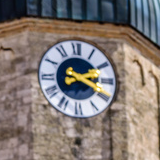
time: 2:18
